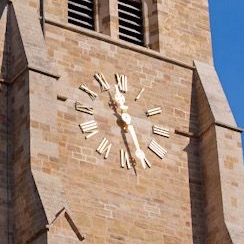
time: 11:28
